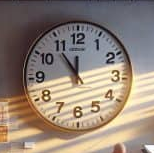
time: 11:54
